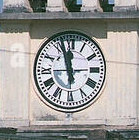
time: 11:57
